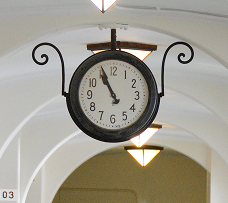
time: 10:55
